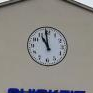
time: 10:59
